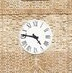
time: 4:46
